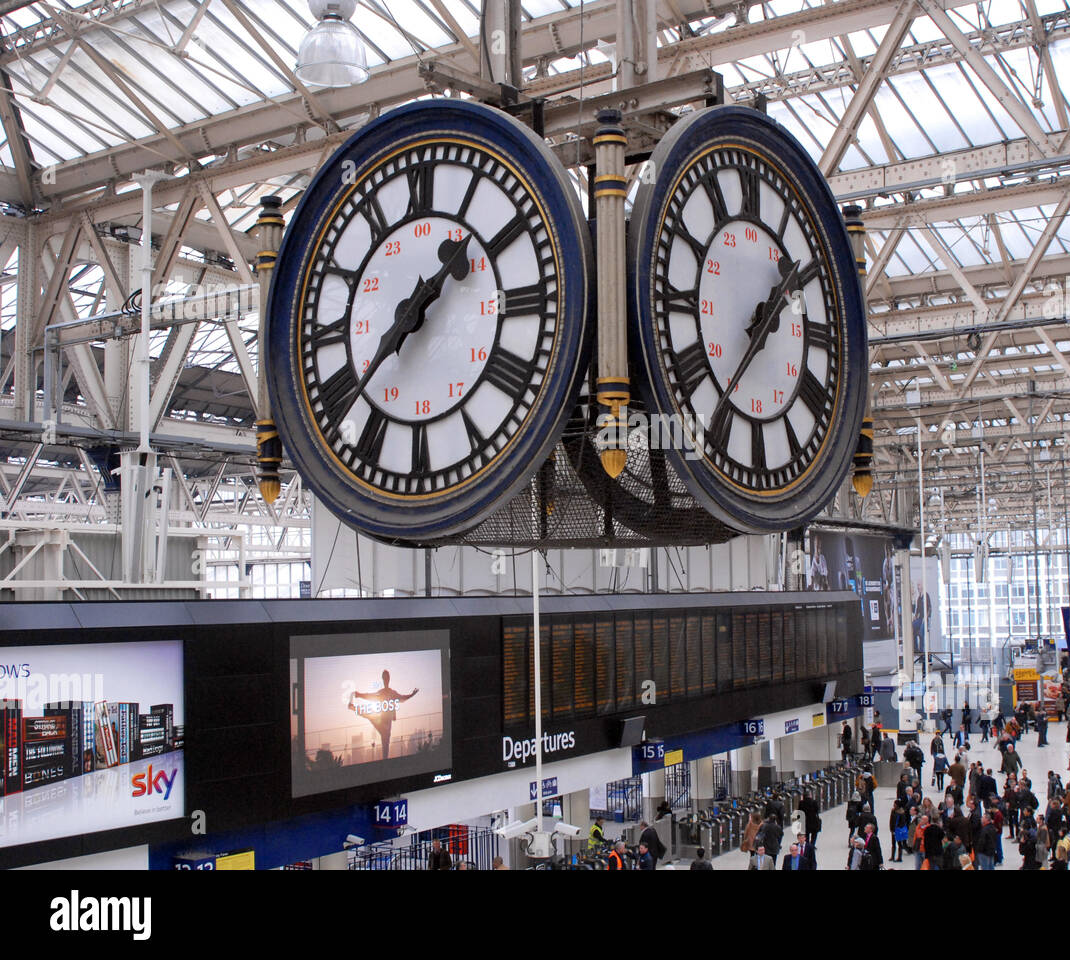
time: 1:37
